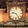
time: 9:25
